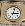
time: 3:02
